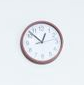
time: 12:52
